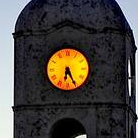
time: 6:25
